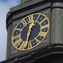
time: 12:32
